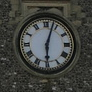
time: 6:03
